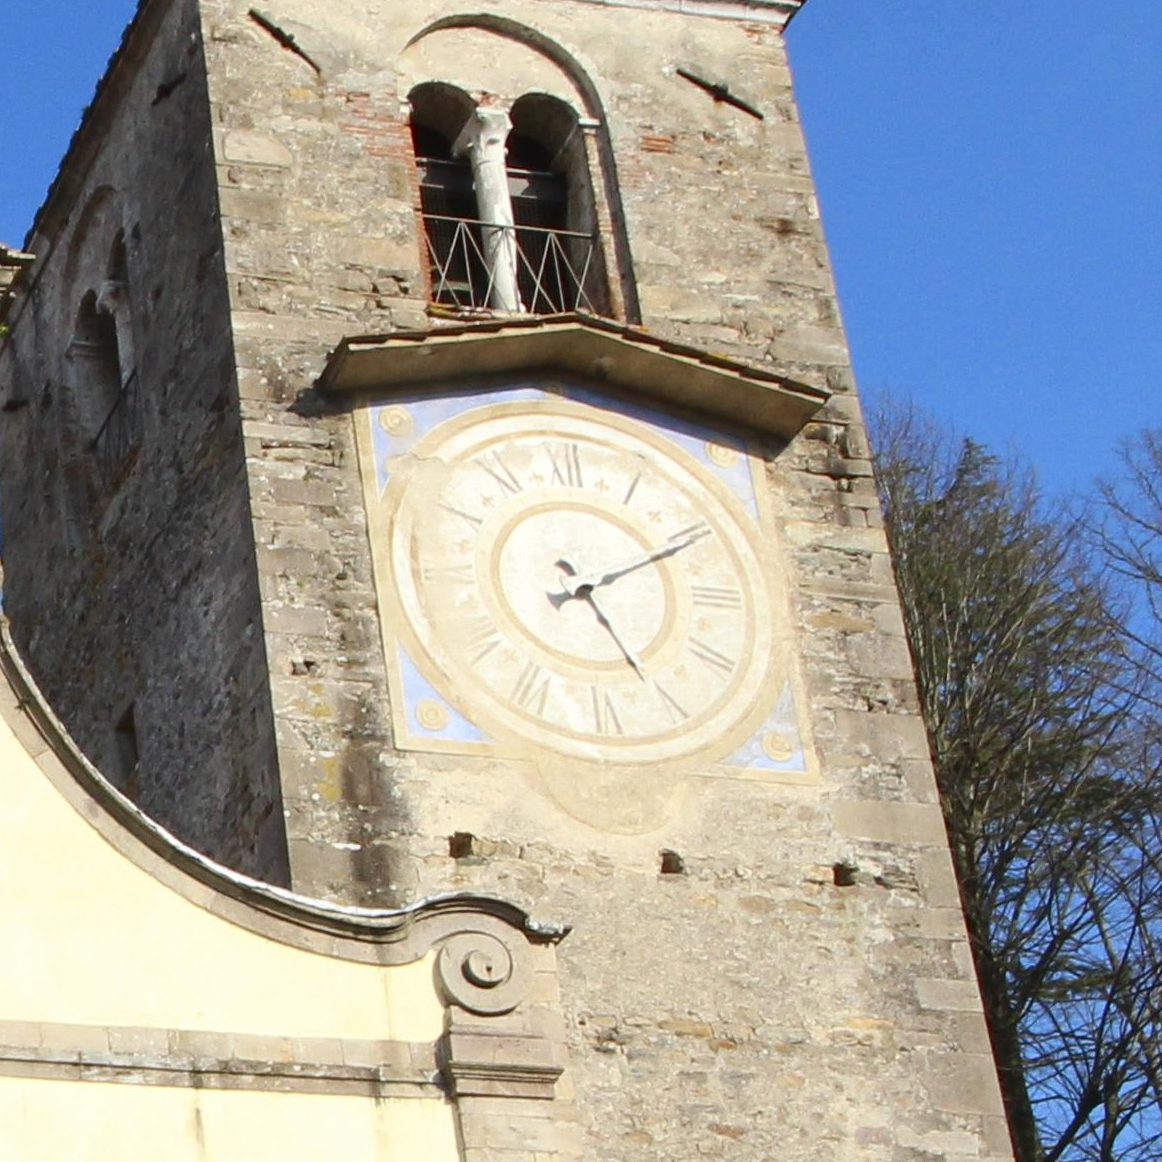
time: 5:10
